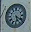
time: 5:20
